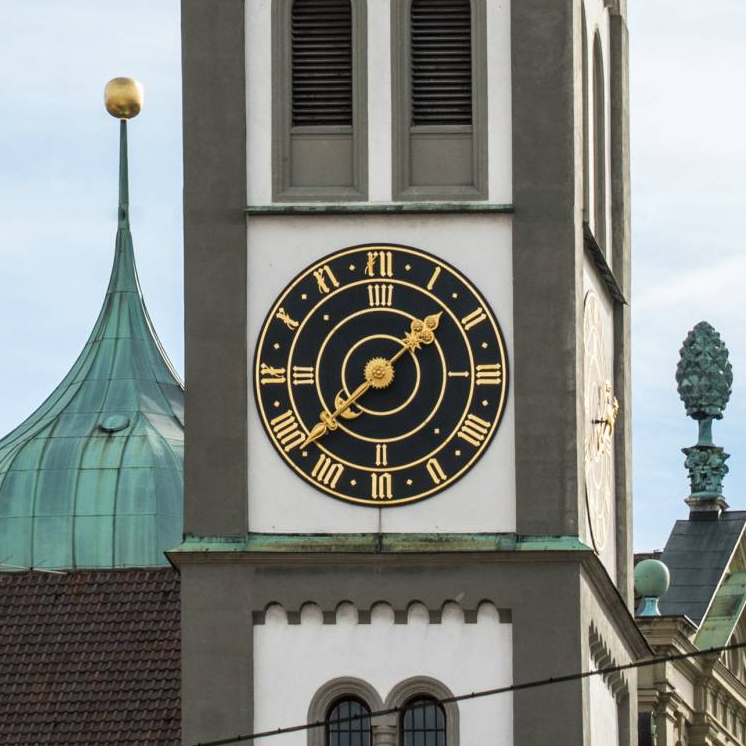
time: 1:38
